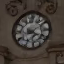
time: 8:20
